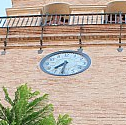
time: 7:31
